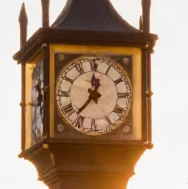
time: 12:36
